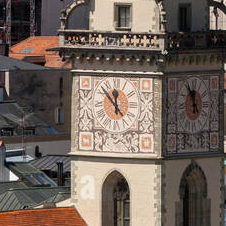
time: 11:54
